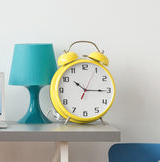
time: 10:15
